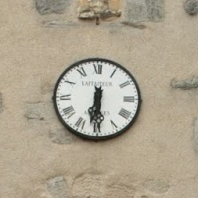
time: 6:29
